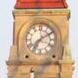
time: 7:09
